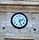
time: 2:26
